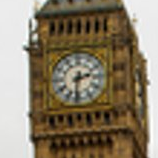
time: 2:31
